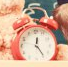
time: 12:24
